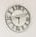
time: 5:43
